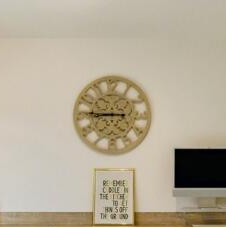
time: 8:45
